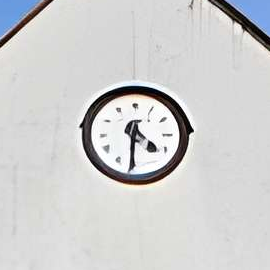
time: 4:31
